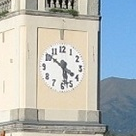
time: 5:51
